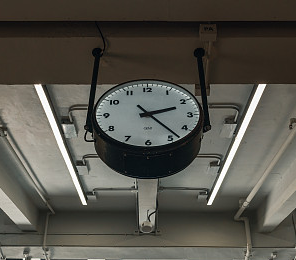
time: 2:23
